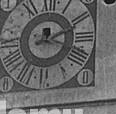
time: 12:11
